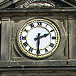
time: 2:30
